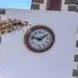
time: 1:47
